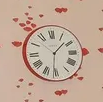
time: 1:31
